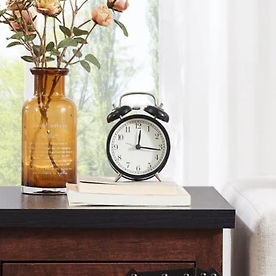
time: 12:16
